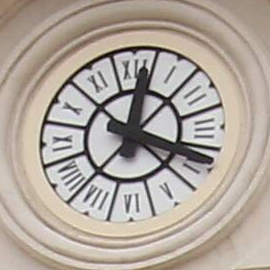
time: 12:19
